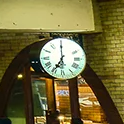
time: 7:00
